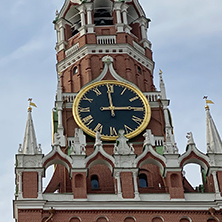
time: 2:59
